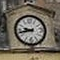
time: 9:42
